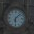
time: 6:07
